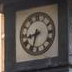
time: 8:33
